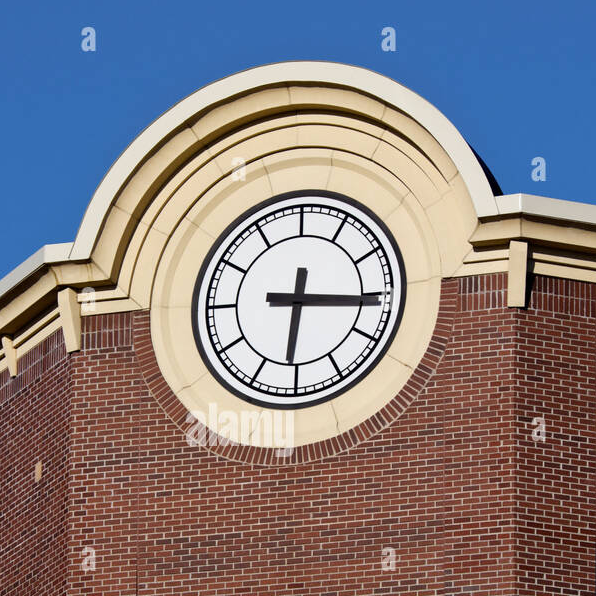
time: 6:15
